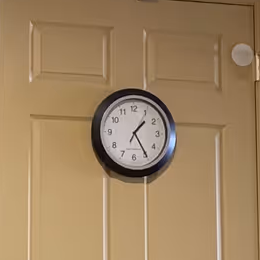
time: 1:24
